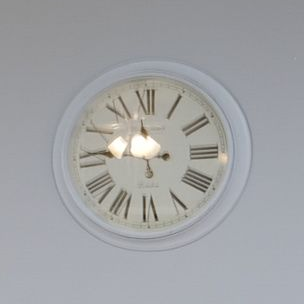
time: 11:46
